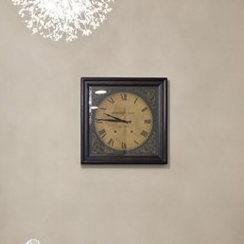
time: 9:45
